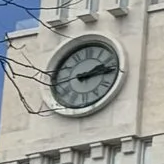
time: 2:14
